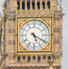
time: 5:20
